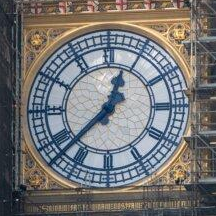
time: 12:37
